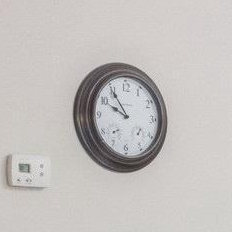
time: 9:54
